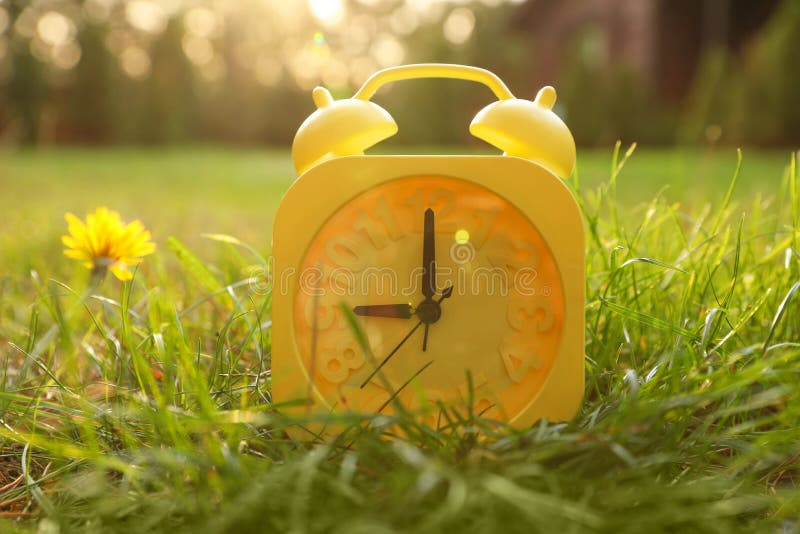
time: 9:00
